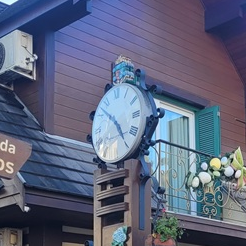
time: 4:52
